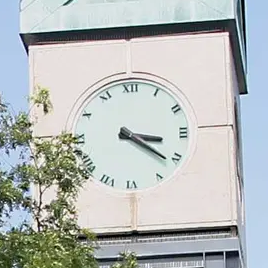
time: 3:21
